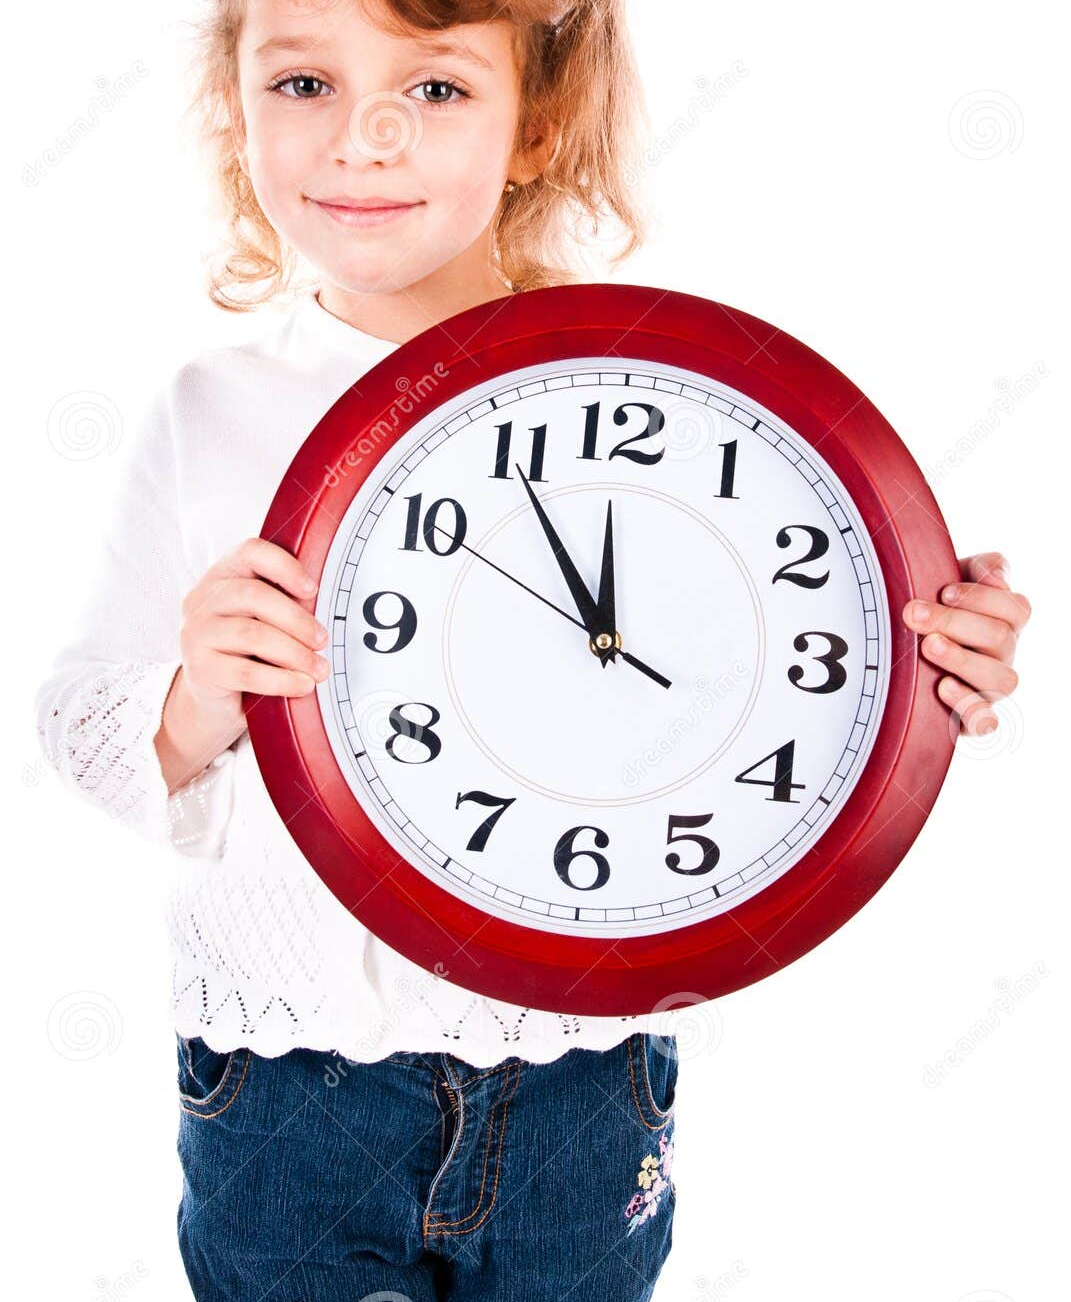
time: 11:54
